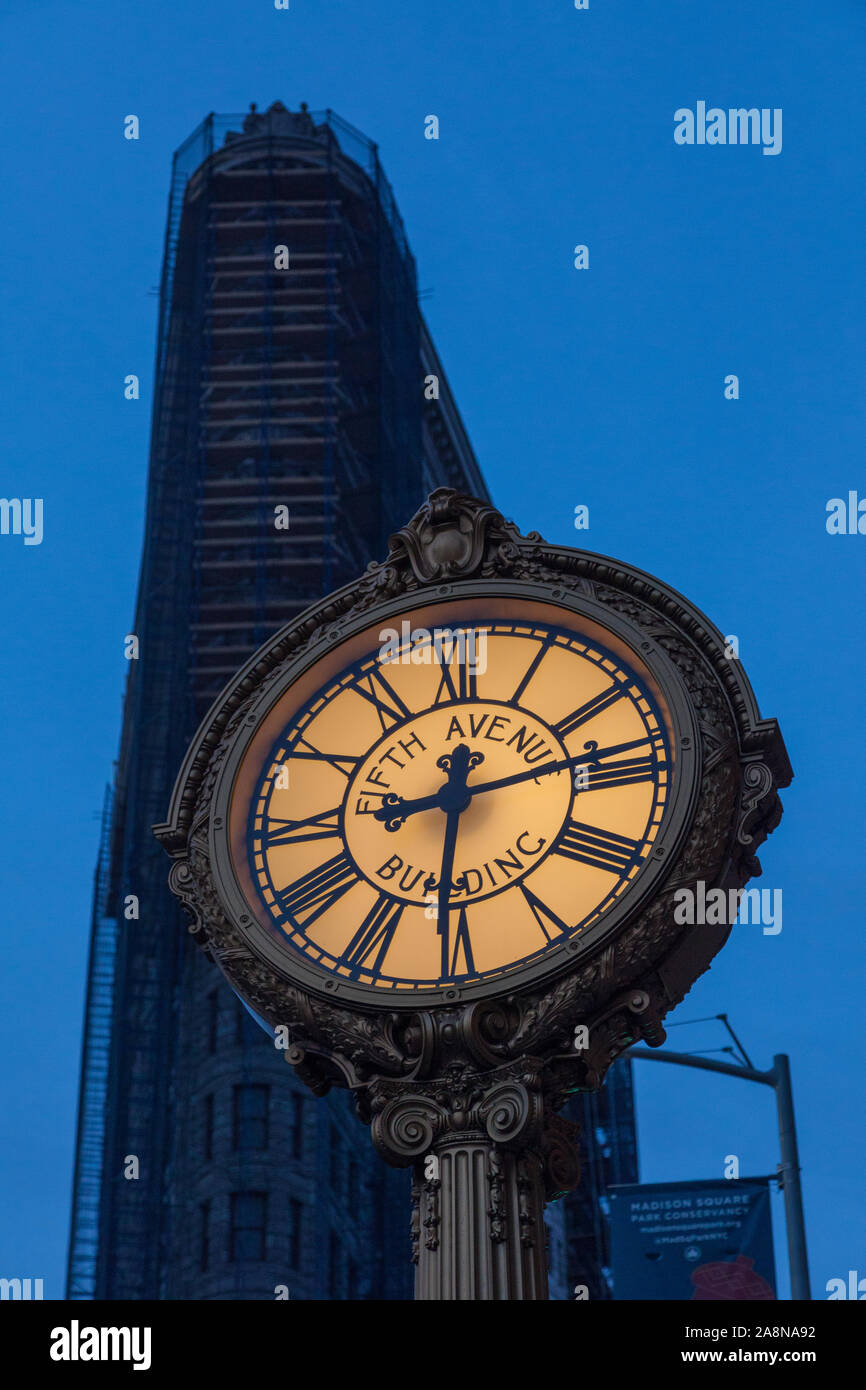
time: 12:30
